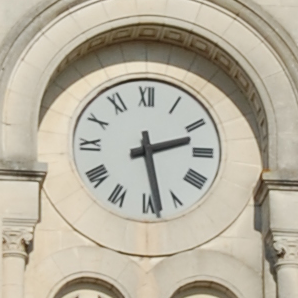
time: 2:28
